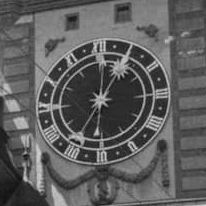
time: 1:00
